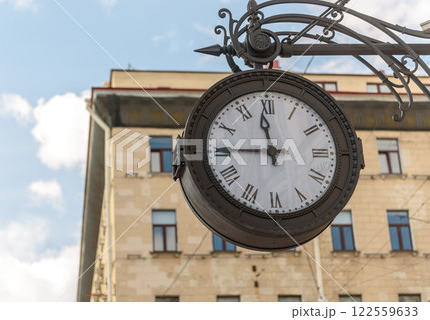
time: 11:44
